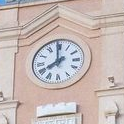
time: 7:59
